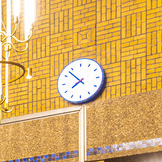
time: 7:52
